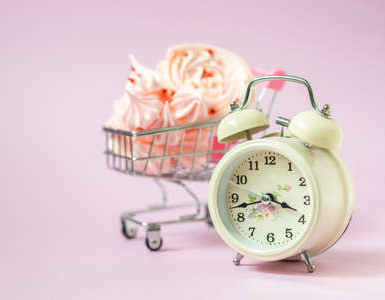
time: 3:42
